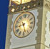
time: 8:27
